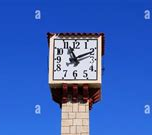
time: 11:10
